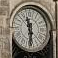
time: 11:29
